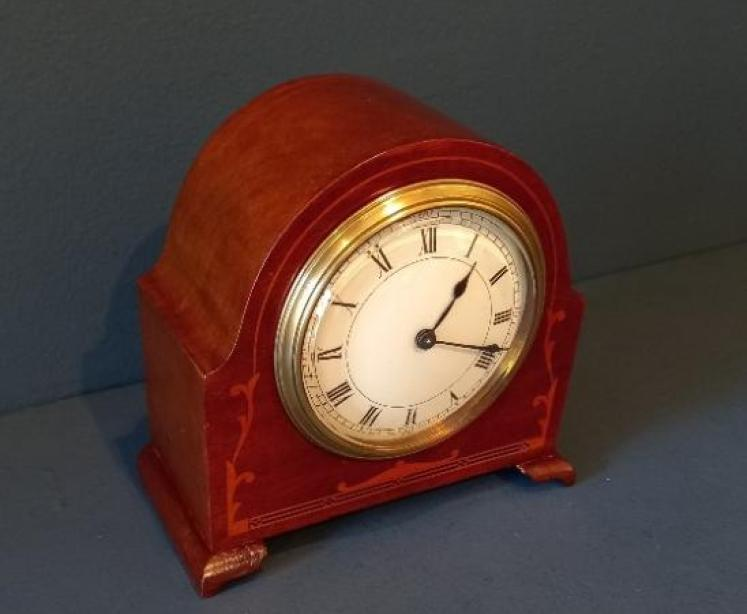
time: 1:18
